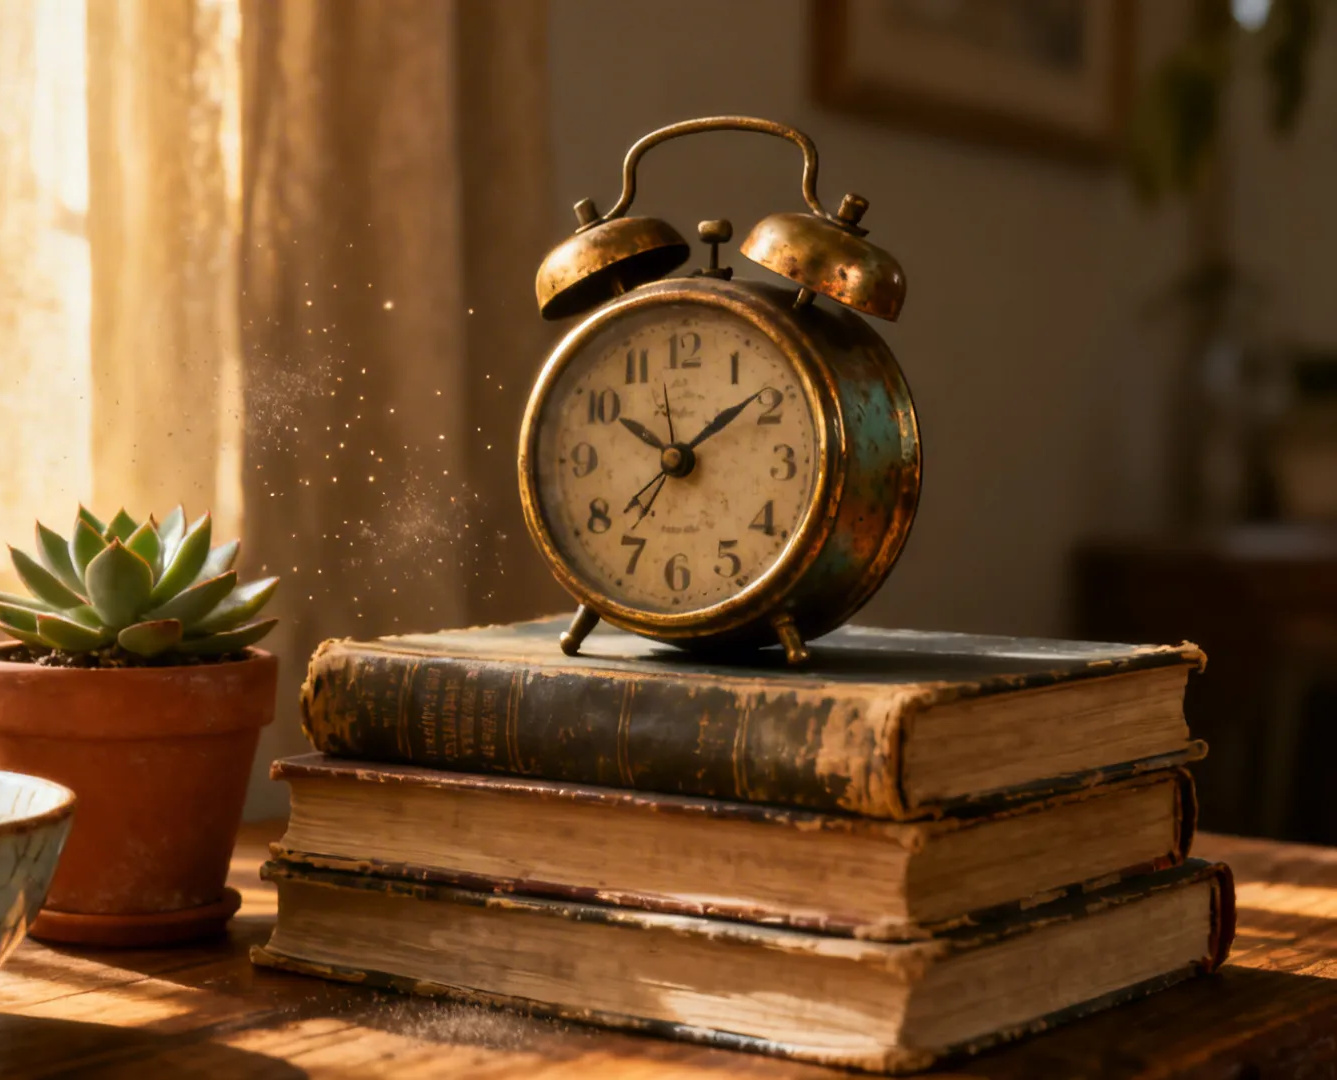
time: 1:50
